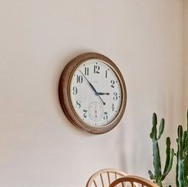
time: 2:52
